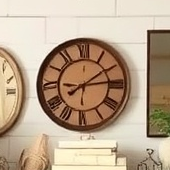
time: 9:09
